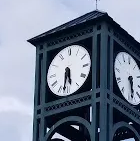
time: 5:31
